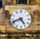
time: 4:41
